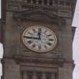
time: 11:44
